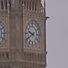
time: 9:40
